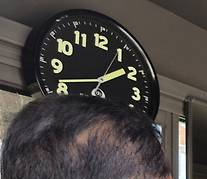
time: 1:41
